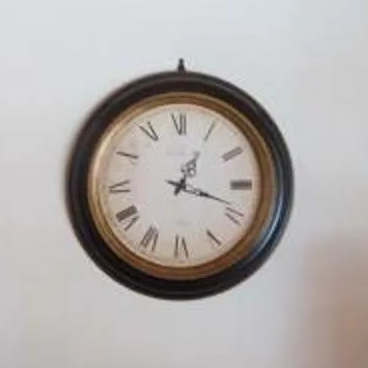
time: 1:18
